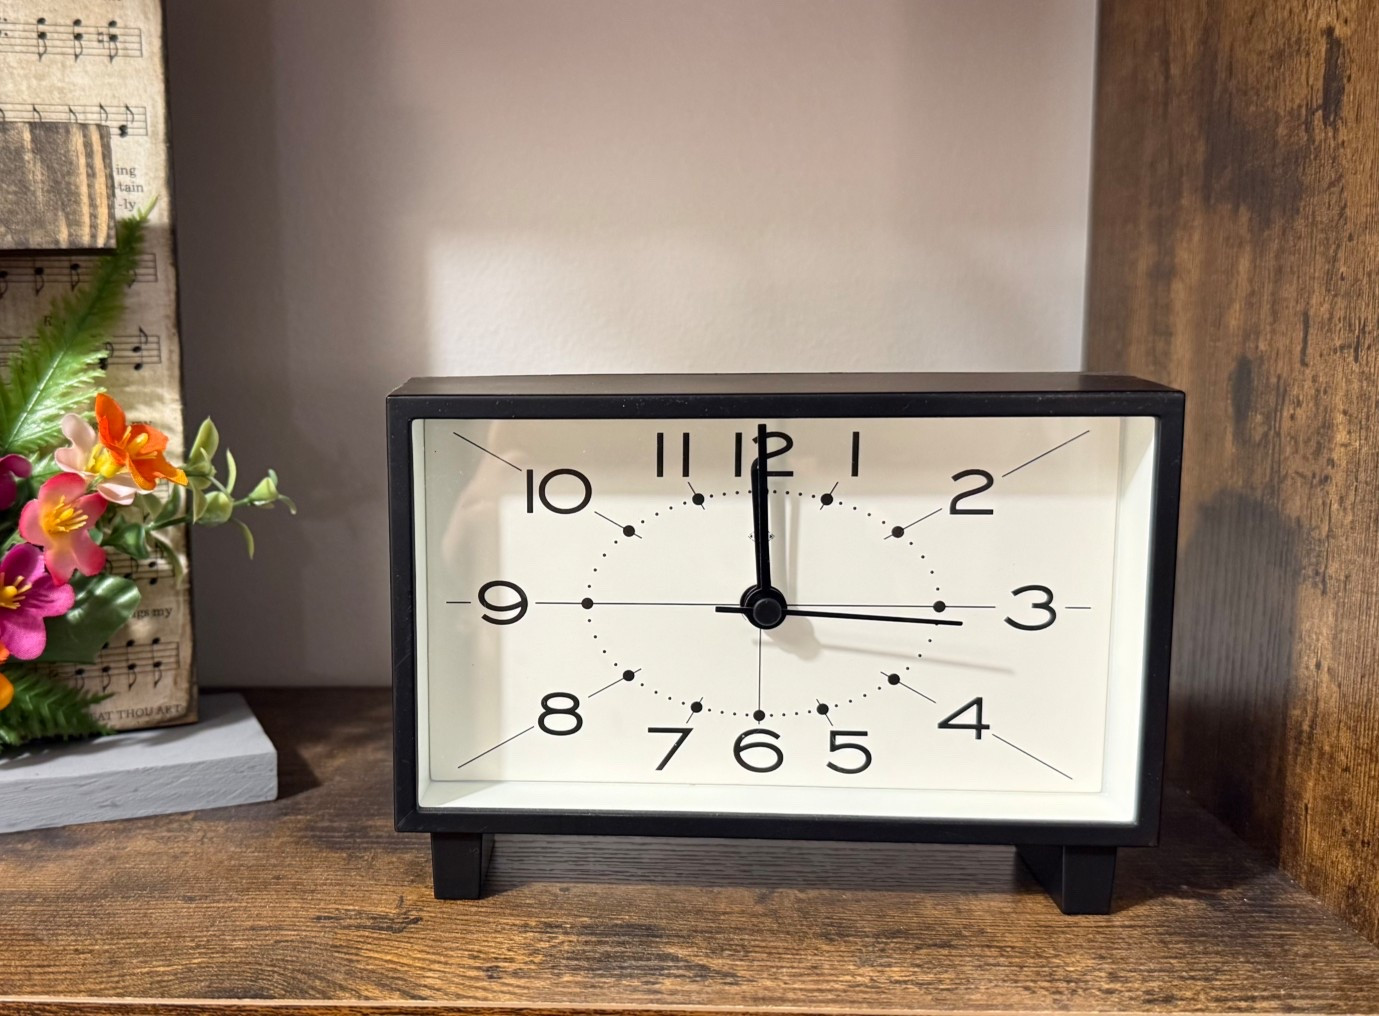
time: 3:00
